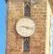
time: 9:17
